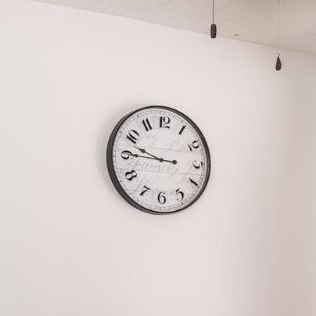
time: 9:45
